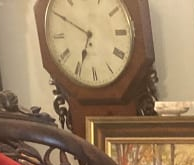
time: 6:50
